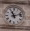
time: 11:12
